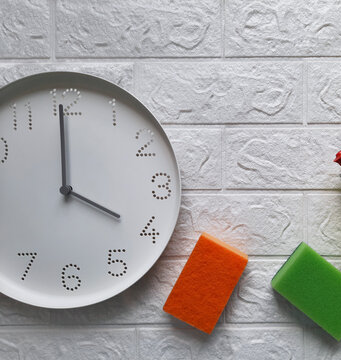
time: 3:59
